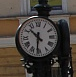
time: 10:31
